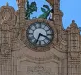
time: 3:34
